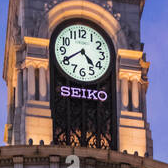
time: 4:40
